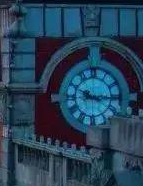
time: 9:15
